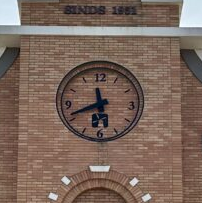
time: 11:41
